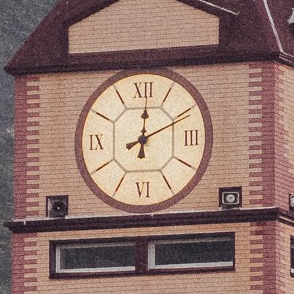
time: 12:10
